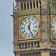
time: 12:26
